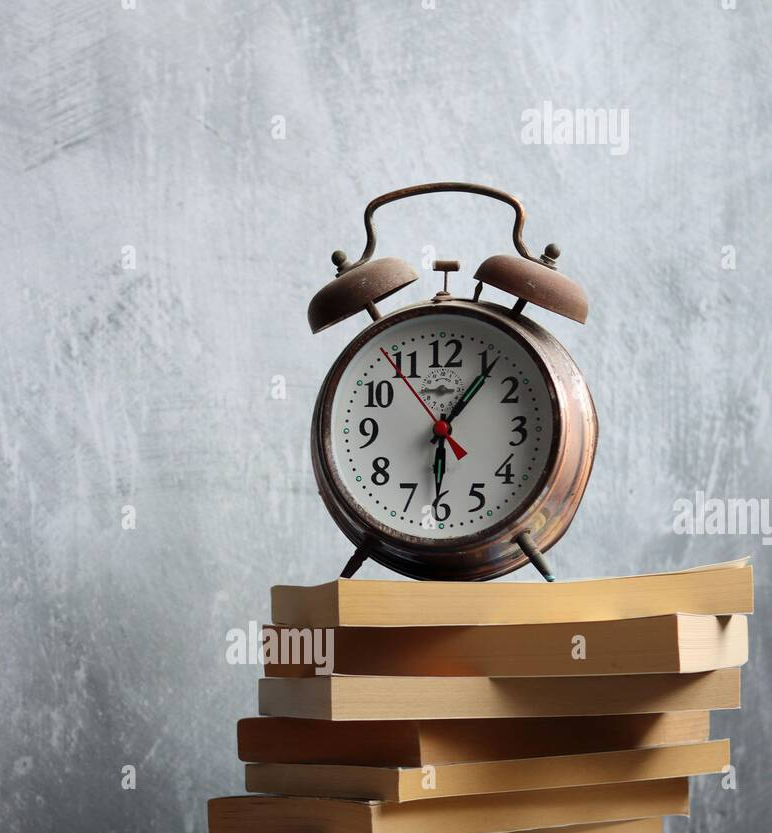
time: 6:06
